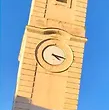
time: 4:18
